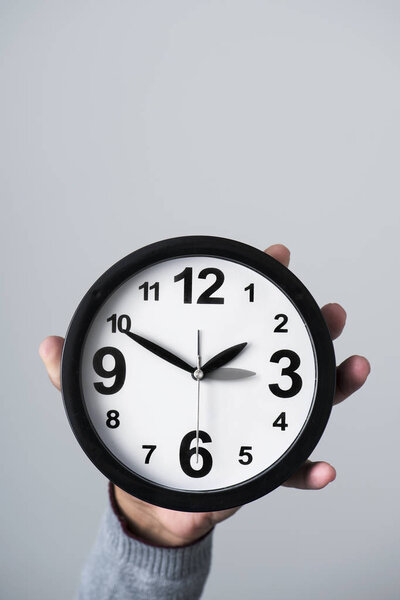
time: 1:49
